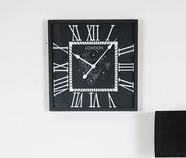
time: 10:07
